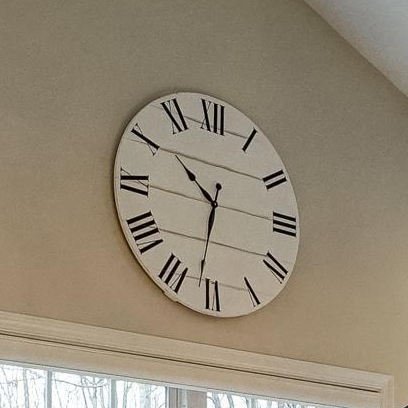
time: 10:31
